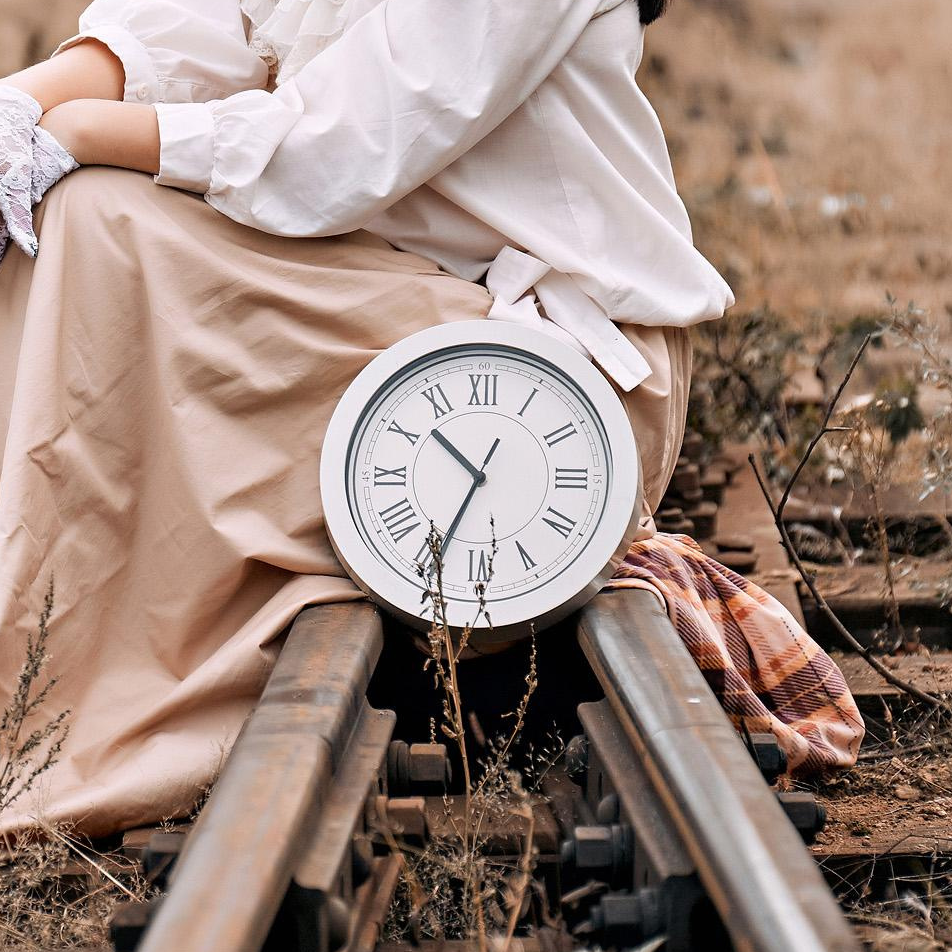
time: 10:34
